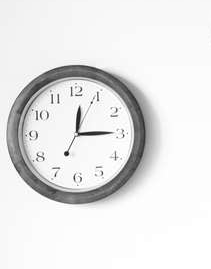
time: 12:14
